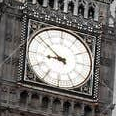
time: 8:51
